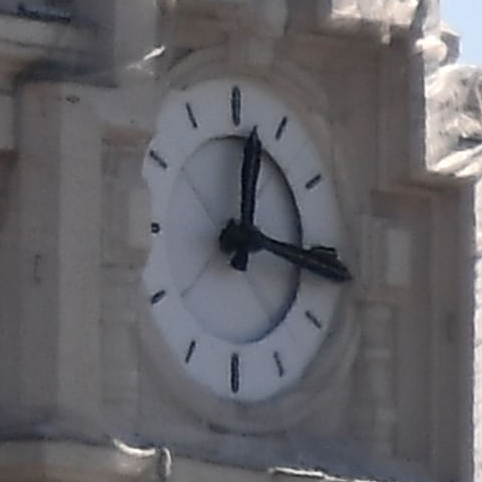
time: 12:16
